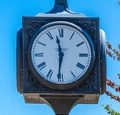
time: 11:30
